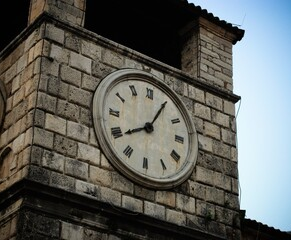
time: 8:04
